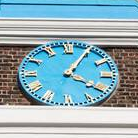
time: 4:04
